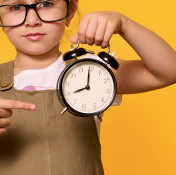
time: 7:59
